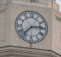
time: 2:37
